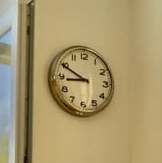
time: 8:49
